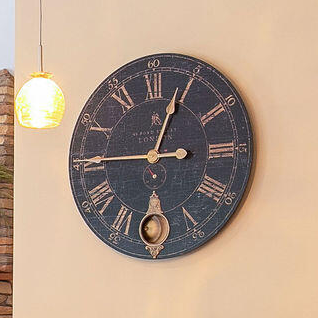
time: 3:03
